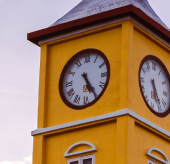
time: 5:24
